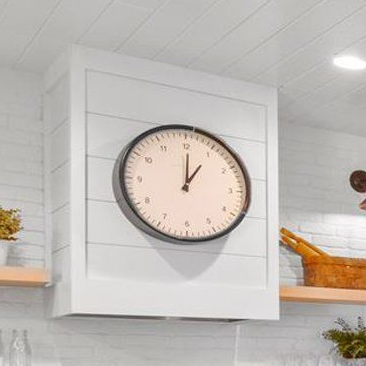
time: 1:00
